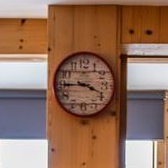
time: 3:44
